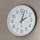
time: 2:02
